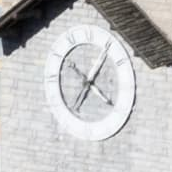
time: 7:06
